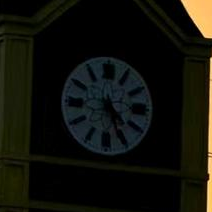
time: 4:26
